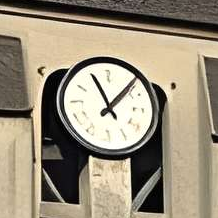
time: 11:07
